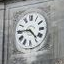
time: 4:44
